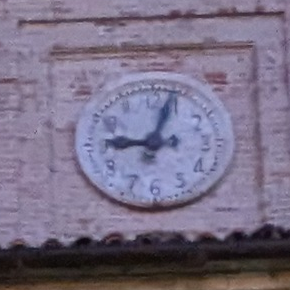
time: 9:03
